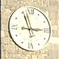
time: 2:56
